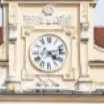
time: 4:12
